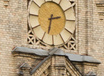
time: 2:32
